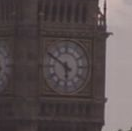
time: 5:50
